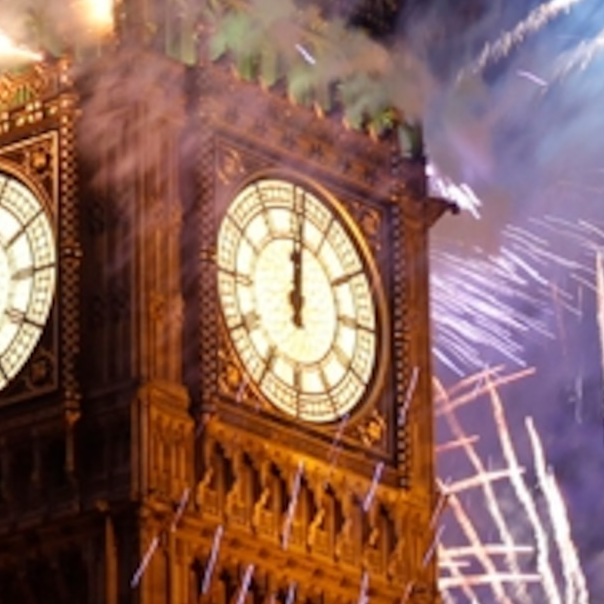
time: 12:00
